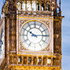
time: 10:14
